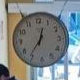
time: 12:36
